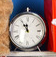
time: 11:55
